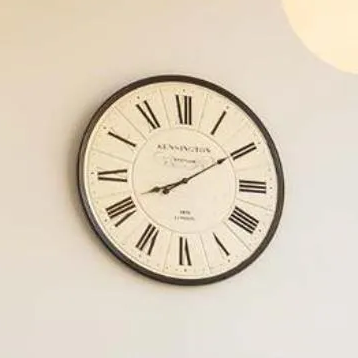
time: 8:09
